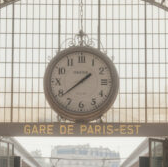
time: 1:38
